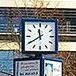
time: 11:39
